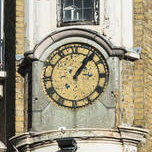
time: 1:06
